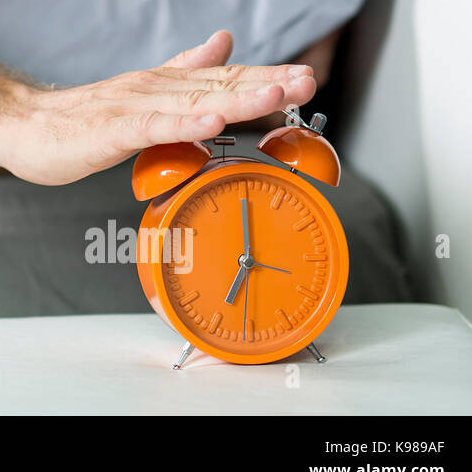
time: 7:00
